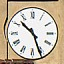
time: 10:26
